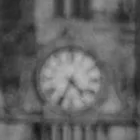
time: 4:34
